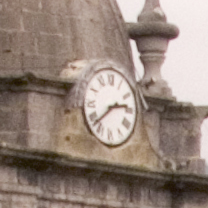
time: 2:38
